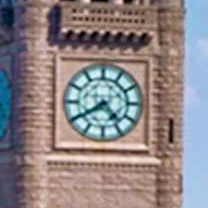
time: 4:39
